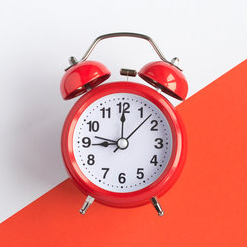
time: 9:00
